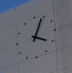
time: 4:04
